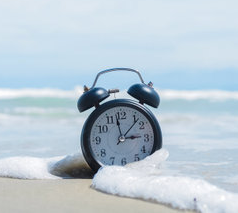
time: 2:58
